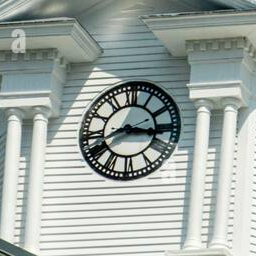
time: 8:16
